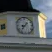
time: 8:36
